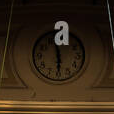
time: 5:57
